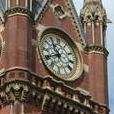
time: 10:40
